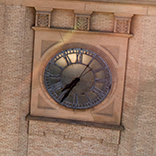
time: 7:35
